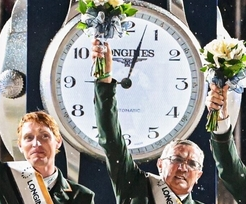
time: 9:03
